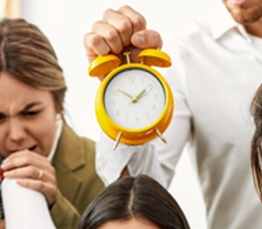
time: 1:52
